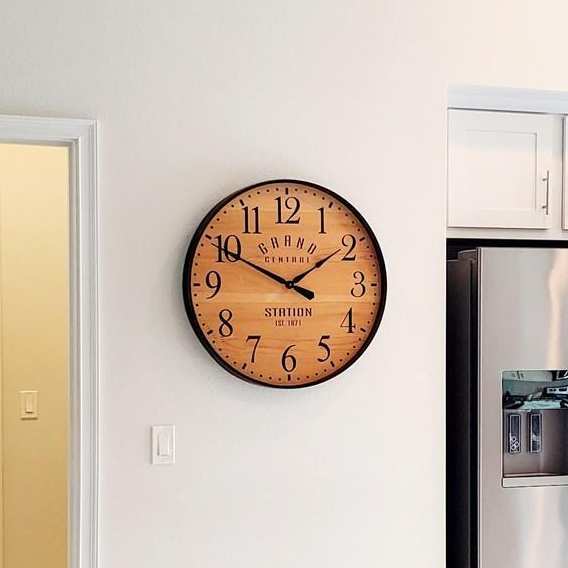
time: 1:49
